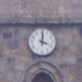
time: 4:01
